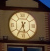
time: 5:35
